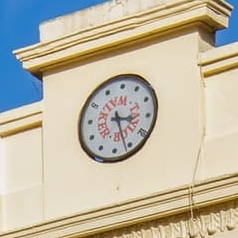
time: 3:26
